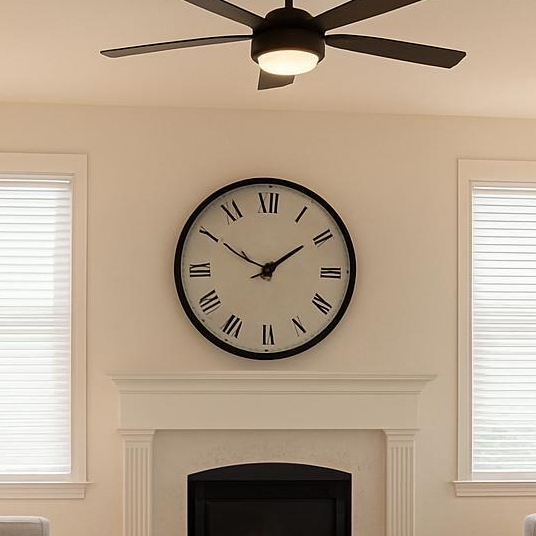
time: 1:50
